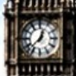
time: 12:37
